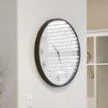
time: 5:14
